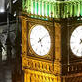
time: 5:08
